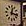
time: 12:16
